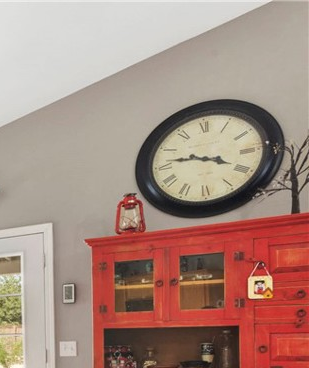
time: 3:46
